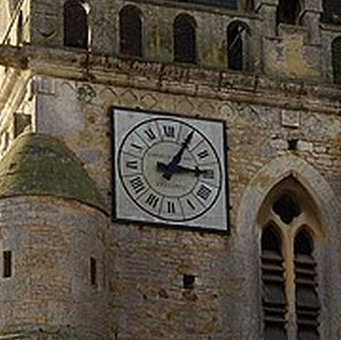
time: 3:05
